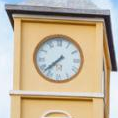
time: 7:37
